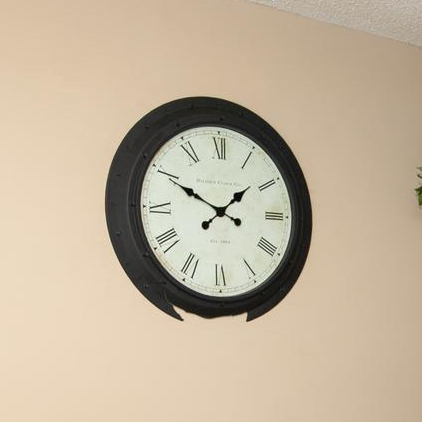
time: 1:49
